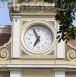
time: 6:56
